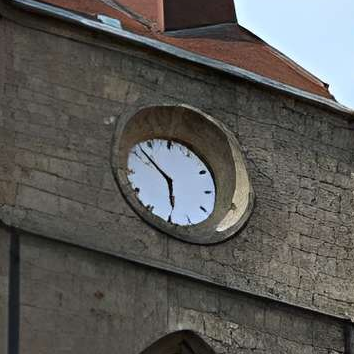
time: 5:51
